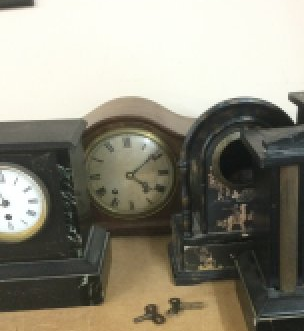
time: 4:08
